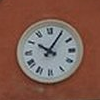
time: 10:05
